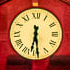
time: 6:29
